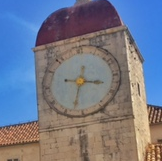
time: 3:32
